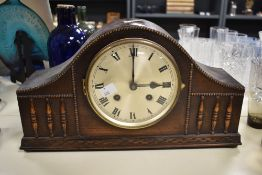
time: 3:00
